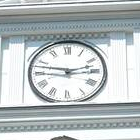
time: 2:47
